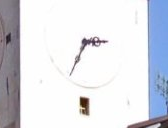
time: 2:34
